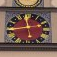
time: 11:43
